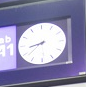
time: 8:38
